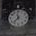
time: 11:37
